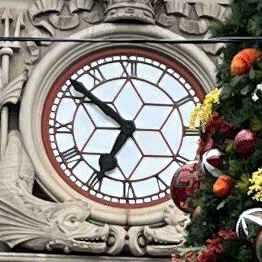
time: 6:51
